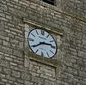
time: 2:39
